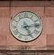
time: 5:13
